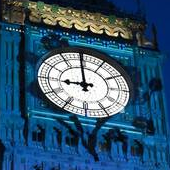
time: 8:59
